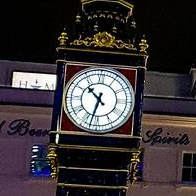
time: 10:32
